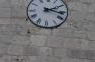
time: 2:17
